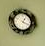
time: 1:18
